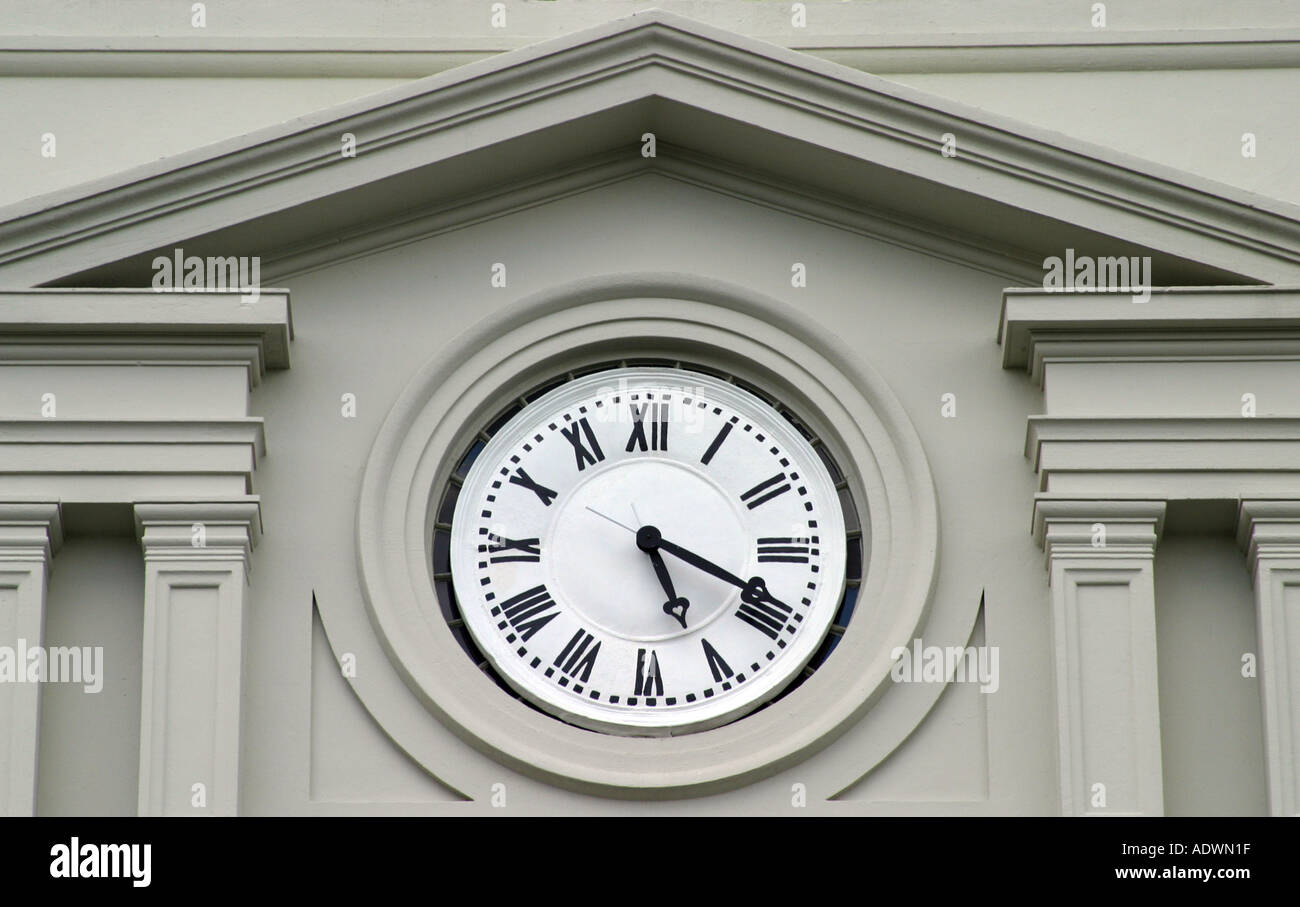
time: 5:18
